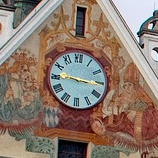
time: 9:15
